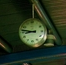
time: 8:46
